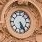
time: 5:24
